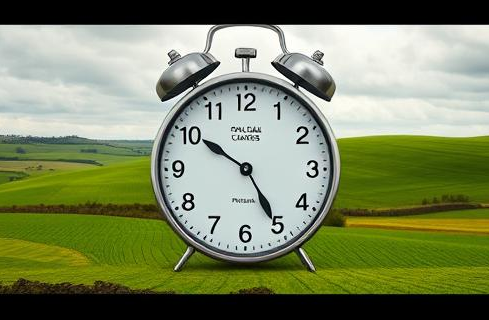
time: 4:50
